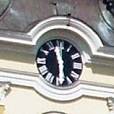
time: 11:29
